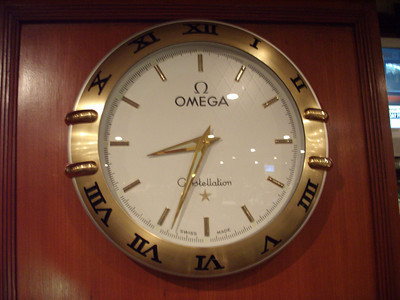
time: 8:33
